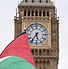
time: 5:36
